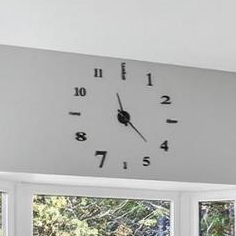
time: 11:22
